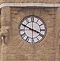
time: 3:48
